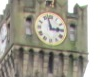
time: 2:57
